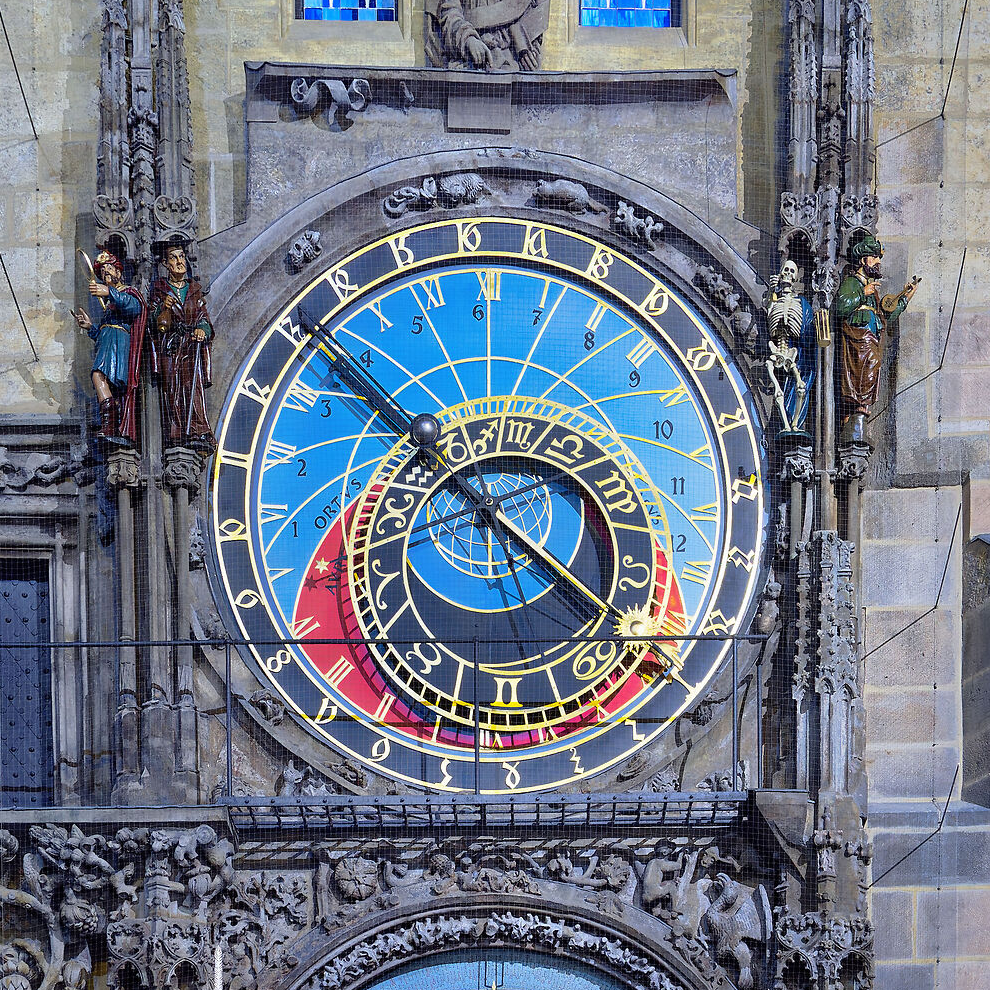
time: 10:20
